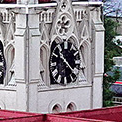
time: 10:22
